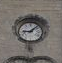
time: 9:07
